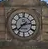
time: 2:37
